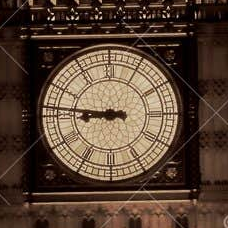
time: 8:46
